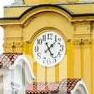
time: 5:07
